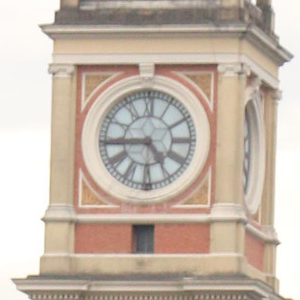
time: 4:44
